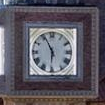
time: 5:55
